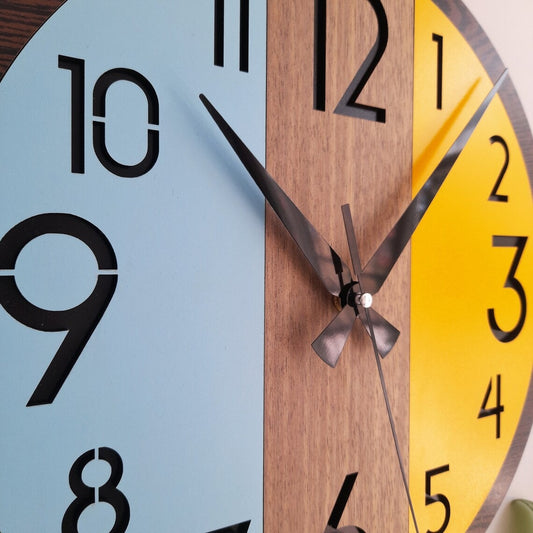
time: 1:52
